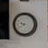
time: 9:39
